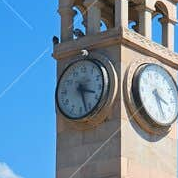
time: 3:26
